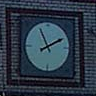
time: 1:55
